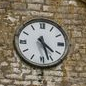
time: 4:27
